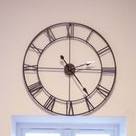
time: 2:23
